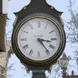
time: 3:23
